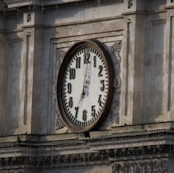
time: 7:01
